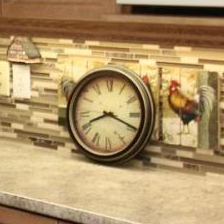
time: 8:19
